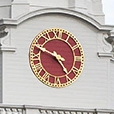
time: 4:48
